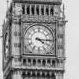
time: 4:15
